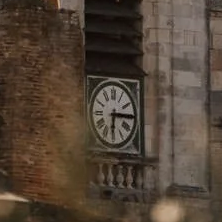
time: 6:15
